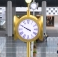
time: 9:49
